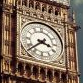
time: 3:38
